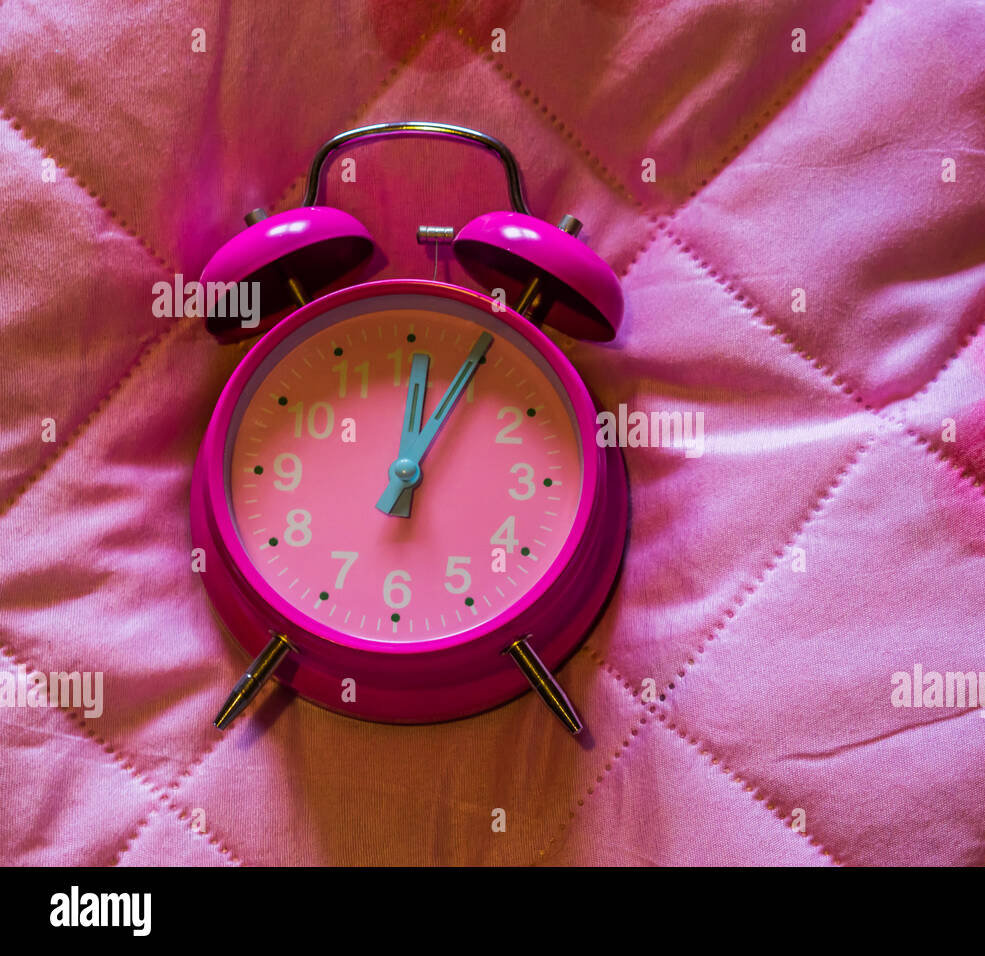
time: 12:04
